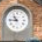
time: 10:45
